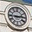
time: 2:45
